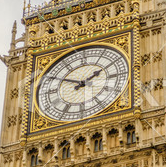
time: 1:50
